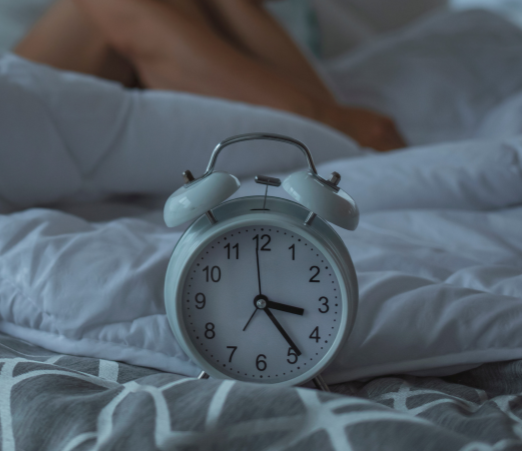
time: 3:23
